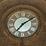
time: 7:09
